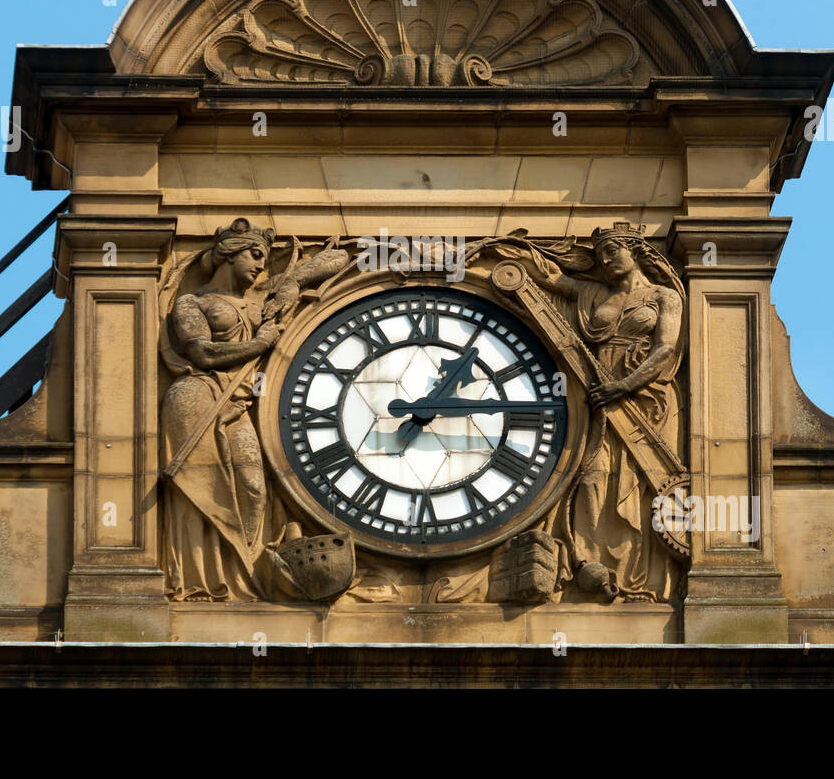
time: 1:13
